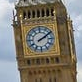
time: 2:09
